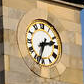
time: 2:33
